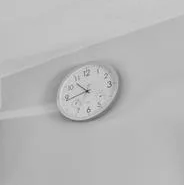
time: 10:43
